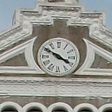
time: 3:50
